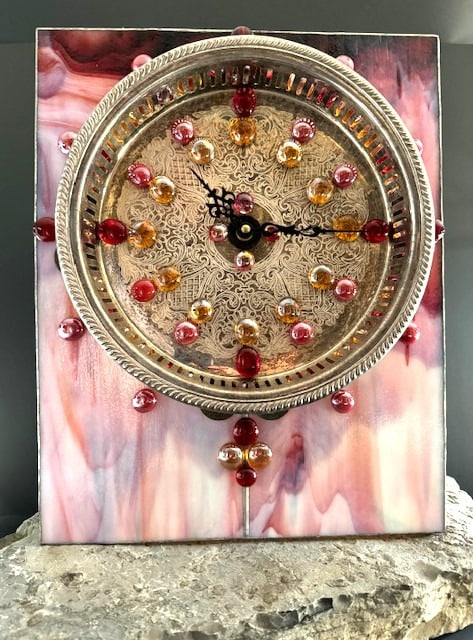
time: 11:14
